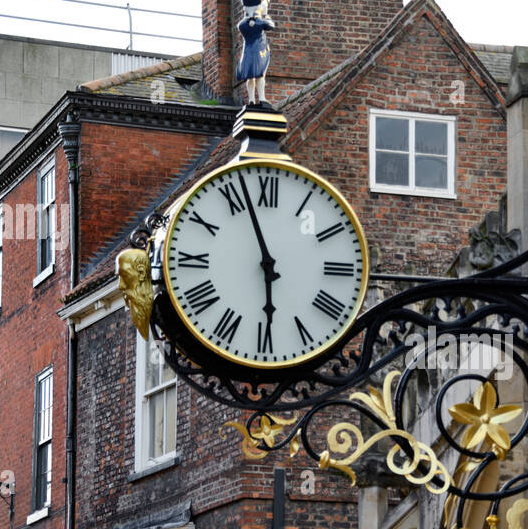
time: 5:56
